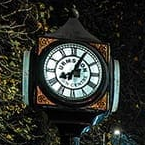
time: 8:04
